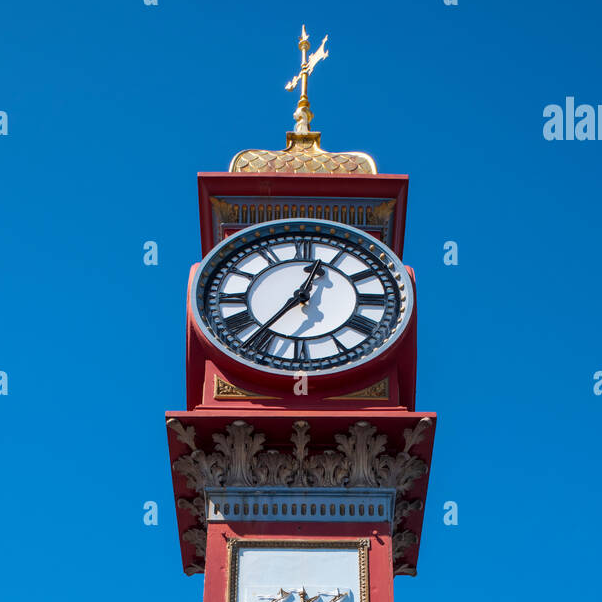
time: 12:36
